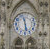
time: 11:28
